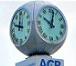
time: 10:02
